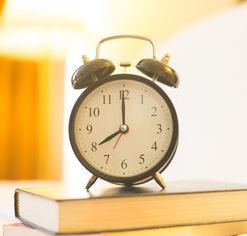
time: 8:00
